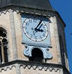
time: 3:05
